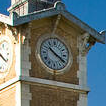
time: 10:20
